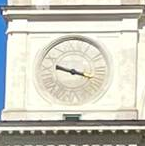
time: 9:18
